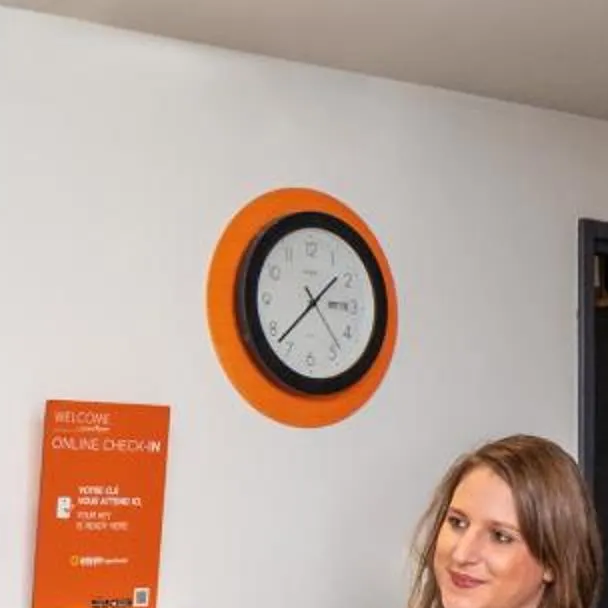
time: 1:37
